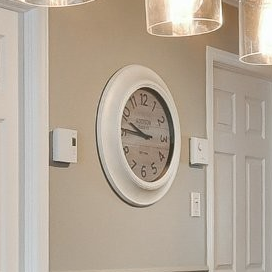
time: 9:45
